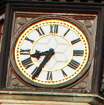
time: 8:34
